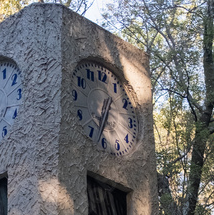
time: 6:34
